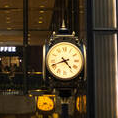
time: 4:41
